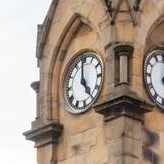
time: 4:59
